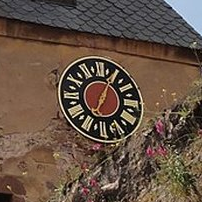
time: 7:04
